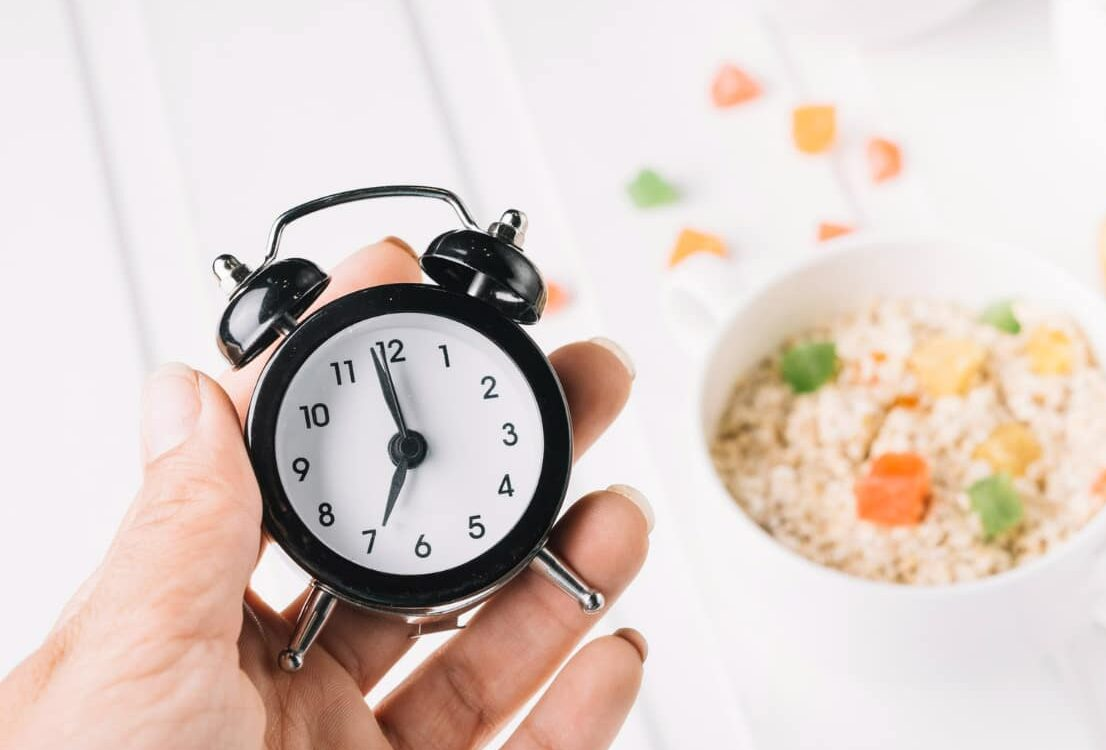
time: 6:58
